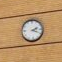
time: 2:19
